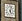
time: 5:03
